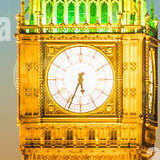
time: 5:33
